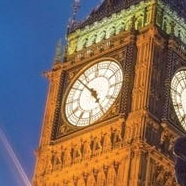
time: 4:52
